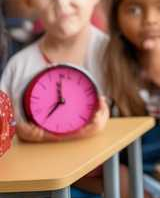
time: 11:35
